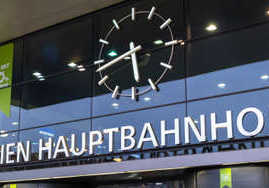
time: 5:42
